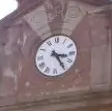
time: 3:24
